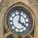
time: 4:01
